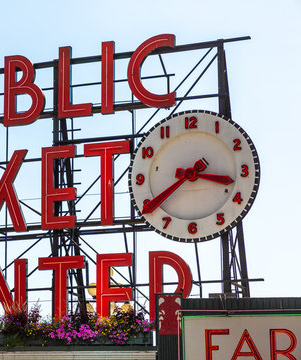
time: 3:39
